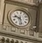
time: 9:28
